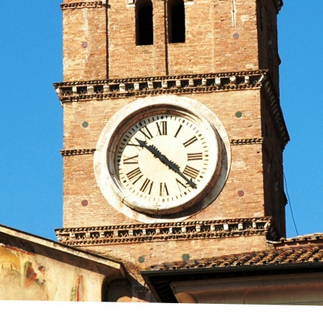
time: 10:22
